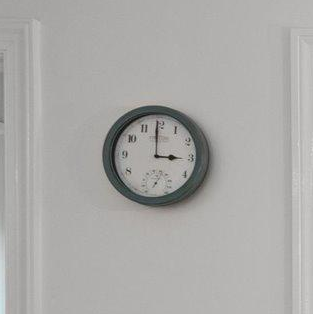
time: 2:59
